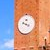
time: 3:48
